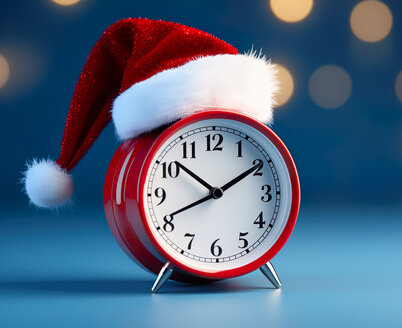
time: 10:09
